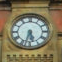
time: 5:32
